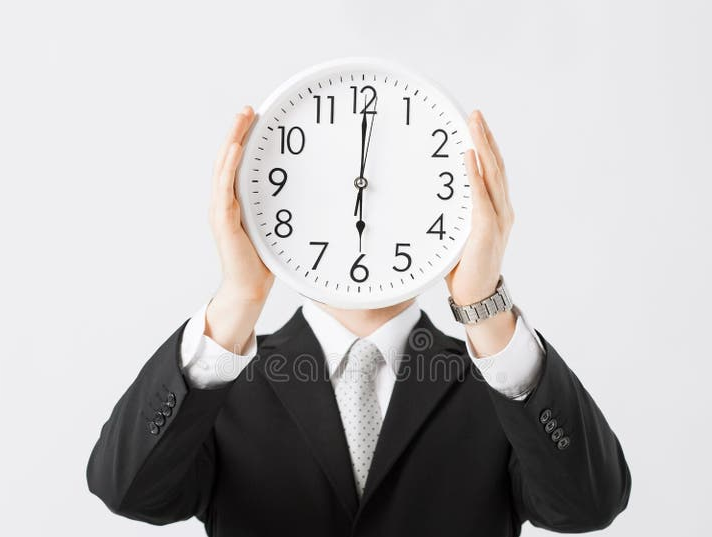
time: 6:00
